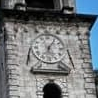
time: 6:06
